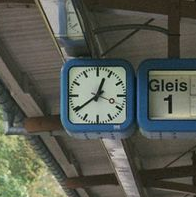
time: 12:39
